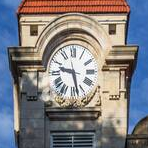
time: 9:27
